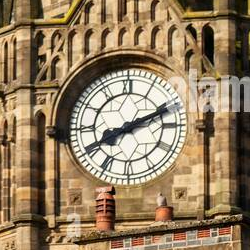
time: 8:11
